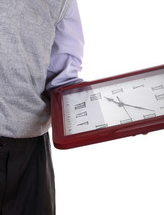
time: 11:21
